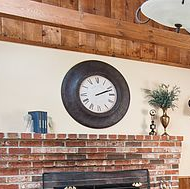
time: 2:11
